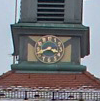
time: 3:40
